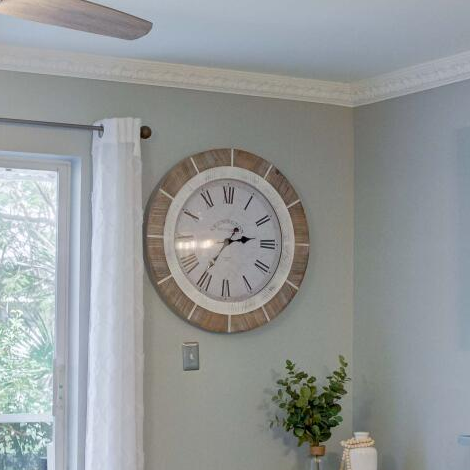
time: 2:36
